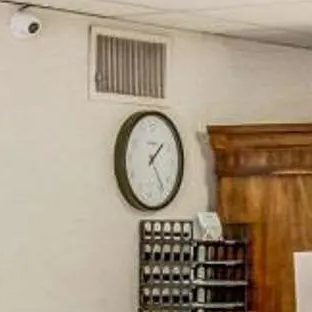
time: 1:24
